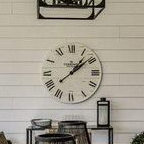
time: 1:08
